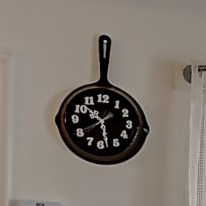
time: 10:28
